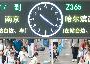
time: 10:21
